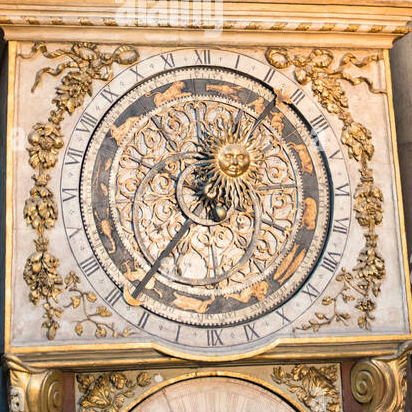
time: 12:36
